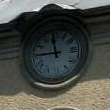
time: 11:44
